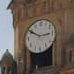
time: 2:50
